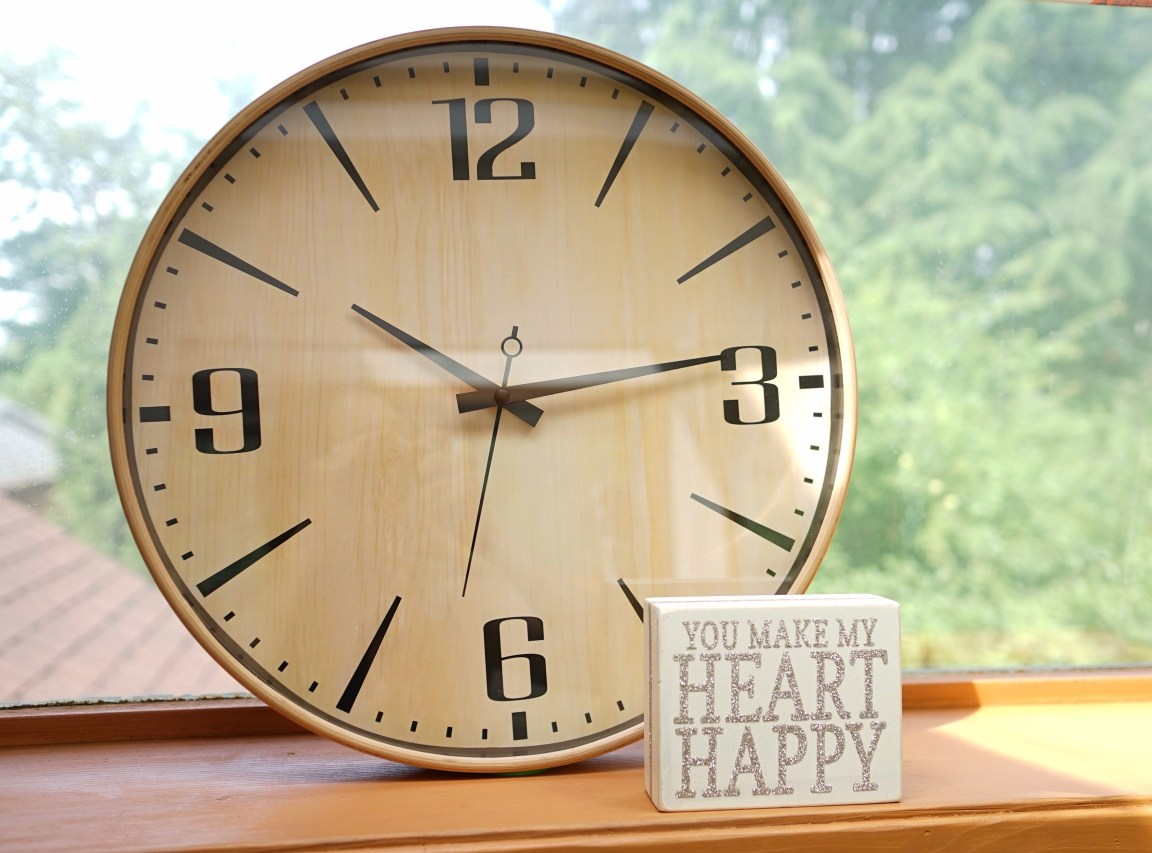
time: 10:13
